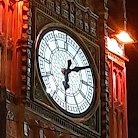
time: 6:10
